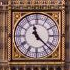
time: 11:22
